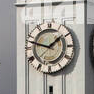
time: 1:47
